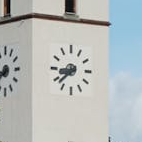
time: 8:38
